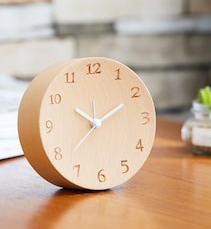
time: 10:10
